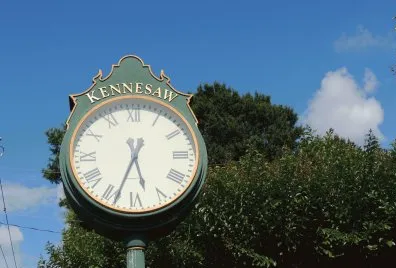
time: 5:33
